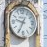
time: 9:34
